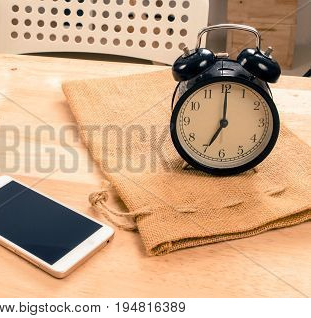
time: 7:00
